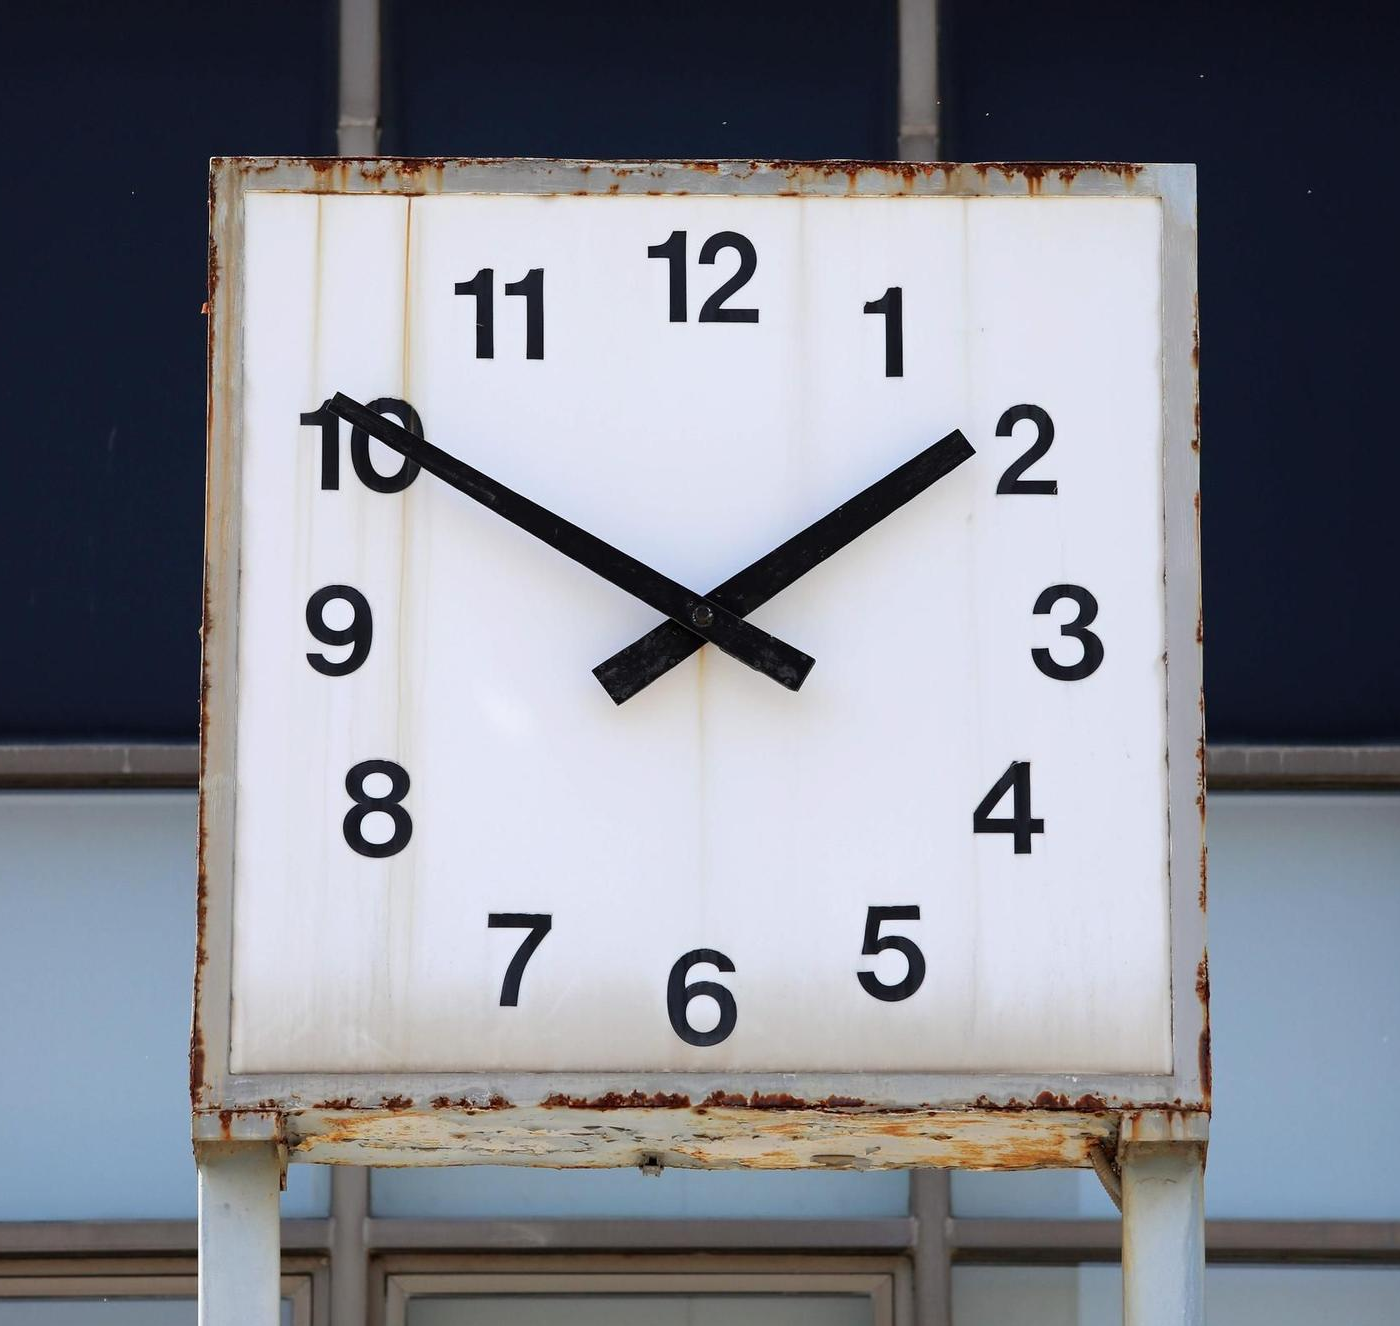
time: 1:50
